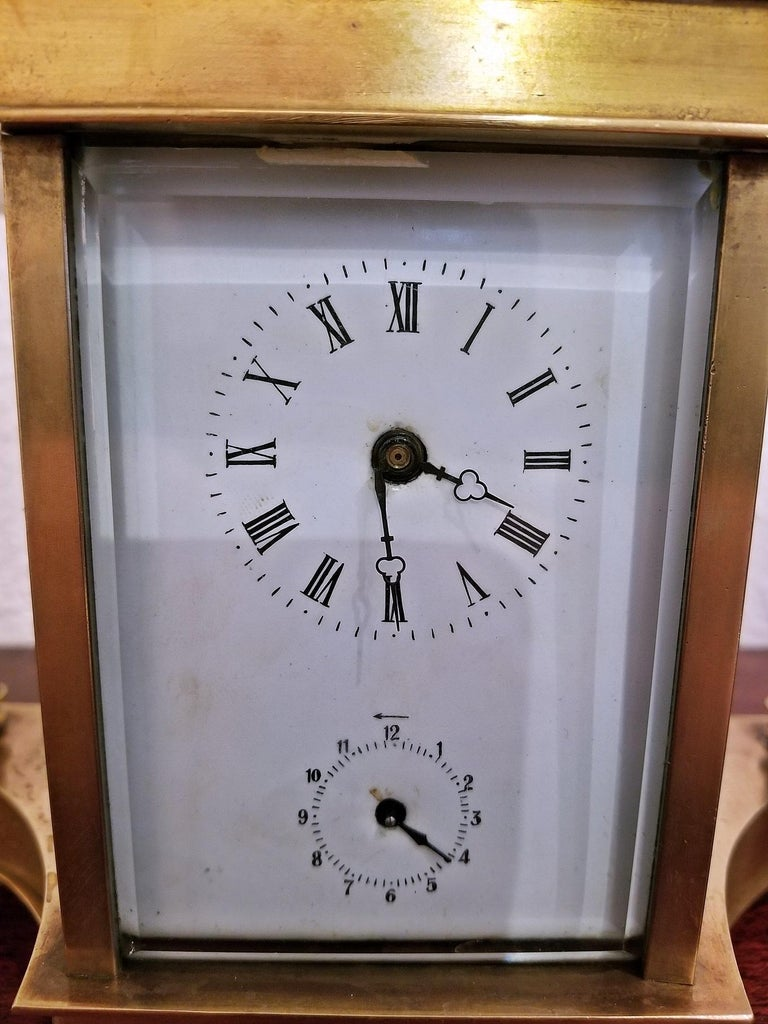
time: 3:29
